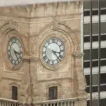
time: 3:22
